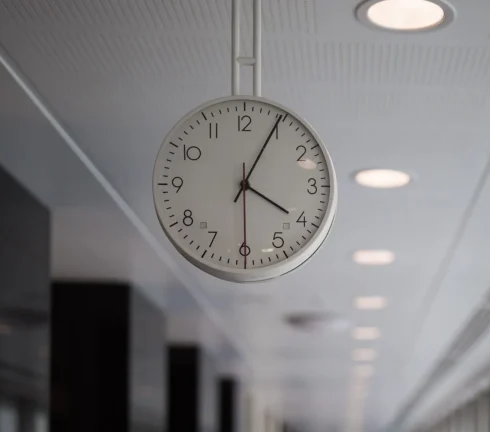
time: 4:04
